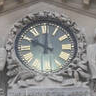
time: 10:00
